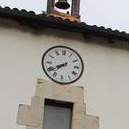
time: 7:40
